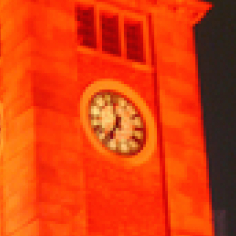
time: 6:58
